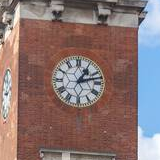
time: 1:12
